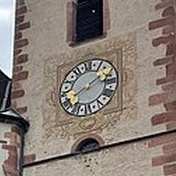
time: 1:39
